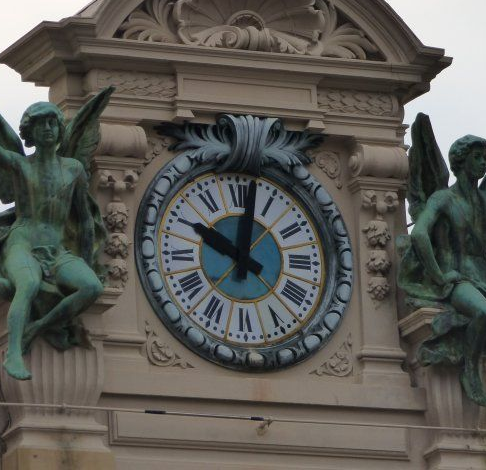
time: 10:02
